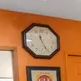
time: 11:25
